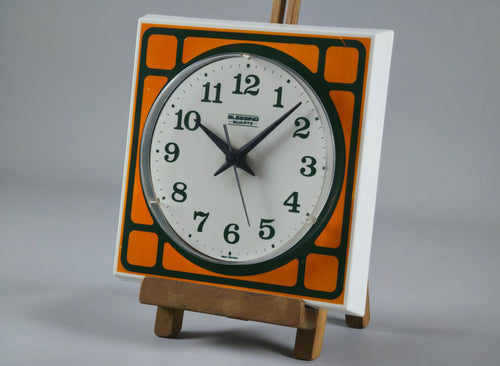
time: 10:07
